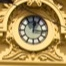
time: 12:16
